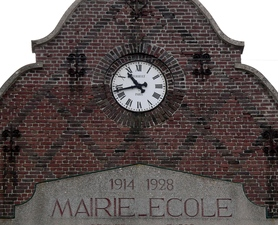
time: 10:42
